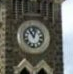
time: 11:03
